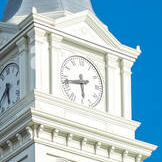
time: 5:42
